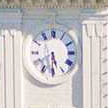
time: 5:30
